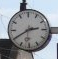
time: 2:40
